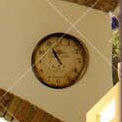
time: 10:55
